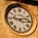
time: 9:12
